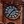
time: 1:36
